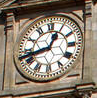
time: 12:42
